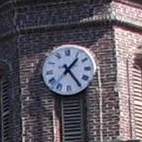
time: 1:24
